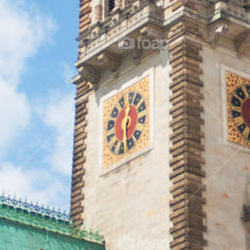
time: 12:28
